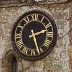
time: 2:26
